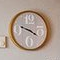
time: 3:47
